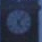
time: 5:06
